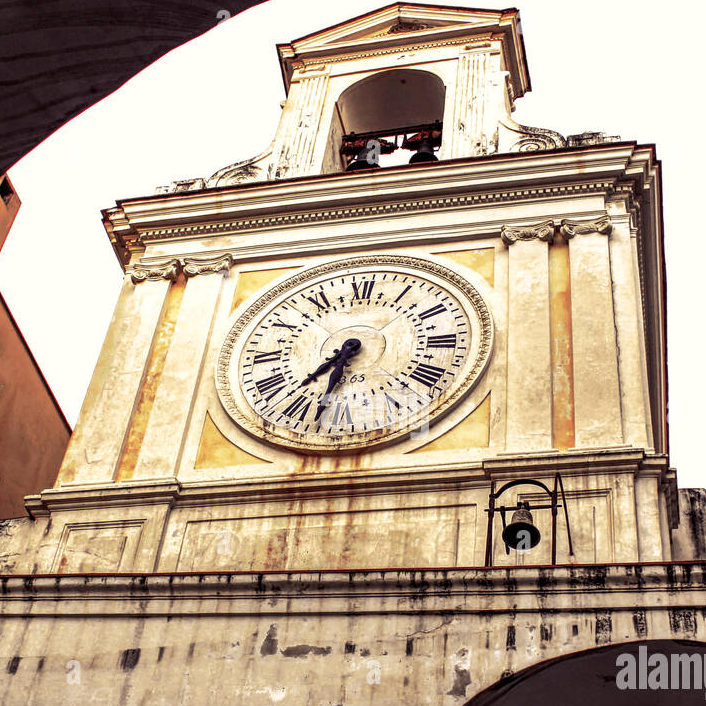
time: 7:32
